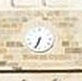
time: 6:33
